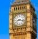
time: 8:17
